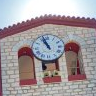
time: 10:56
